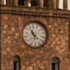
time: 11:22
